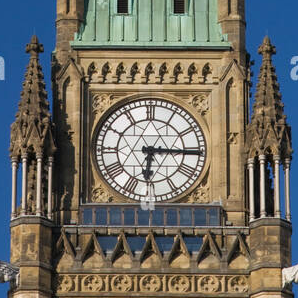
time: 6:15
